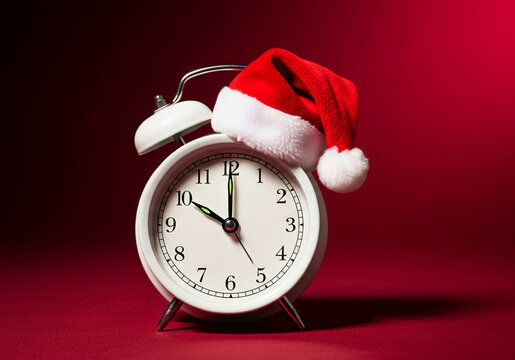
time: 10:00
